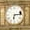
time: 6:13
